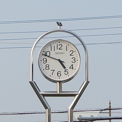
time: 4:48
